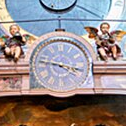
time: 3:46
